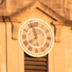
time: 7:57
